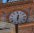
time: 12:32
